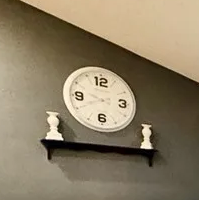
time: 9:40
